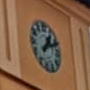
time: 1:11
